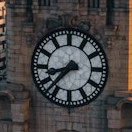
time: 8:37
